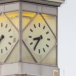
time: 8:35
